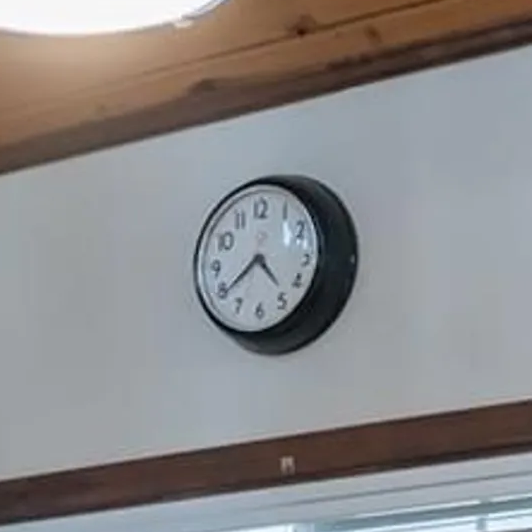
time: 4:39
